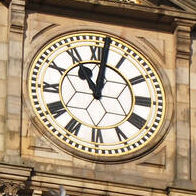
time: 11:01
